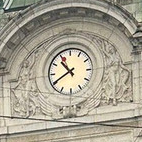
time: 10:40
